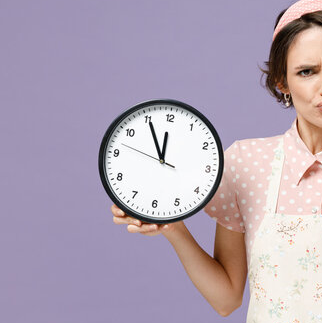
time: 11:55
